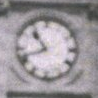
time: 10:41
